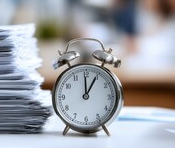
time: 12:59
